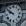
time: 9:51
